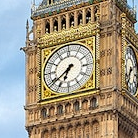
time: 6:38
